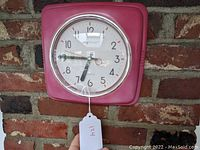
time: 6:45
